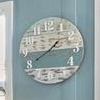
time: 1:39
